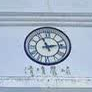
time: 11:13
